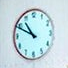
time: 10:49
